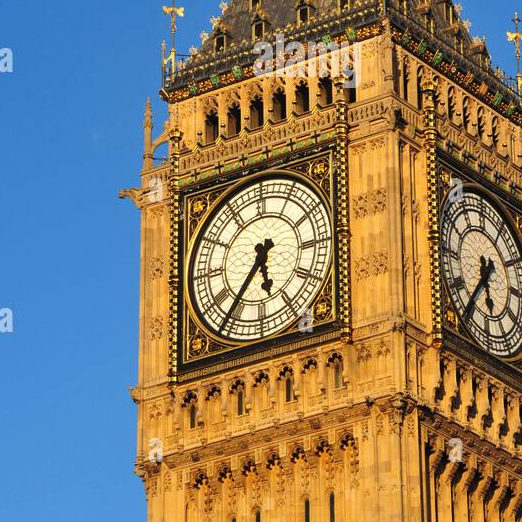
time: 5:36
